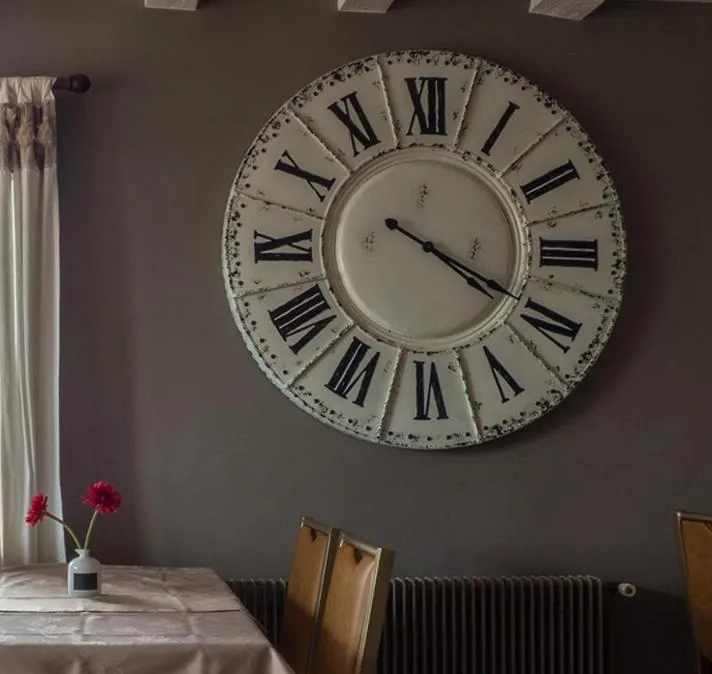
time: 4:19
